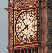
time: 7:52
